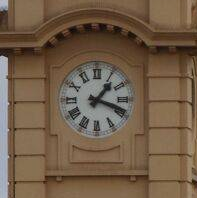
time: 1:18
